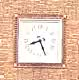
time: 8:26
